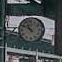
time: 10:50
